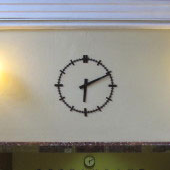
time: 6:10
